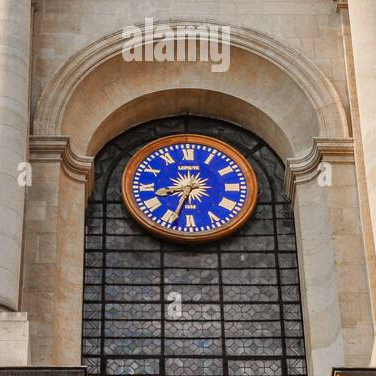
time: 8:33
